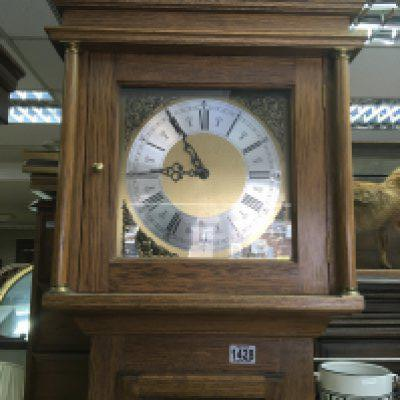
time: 8:54
